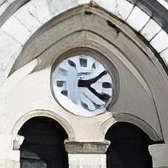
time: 4:10
